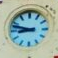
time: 8:47
